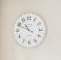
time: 10:49
